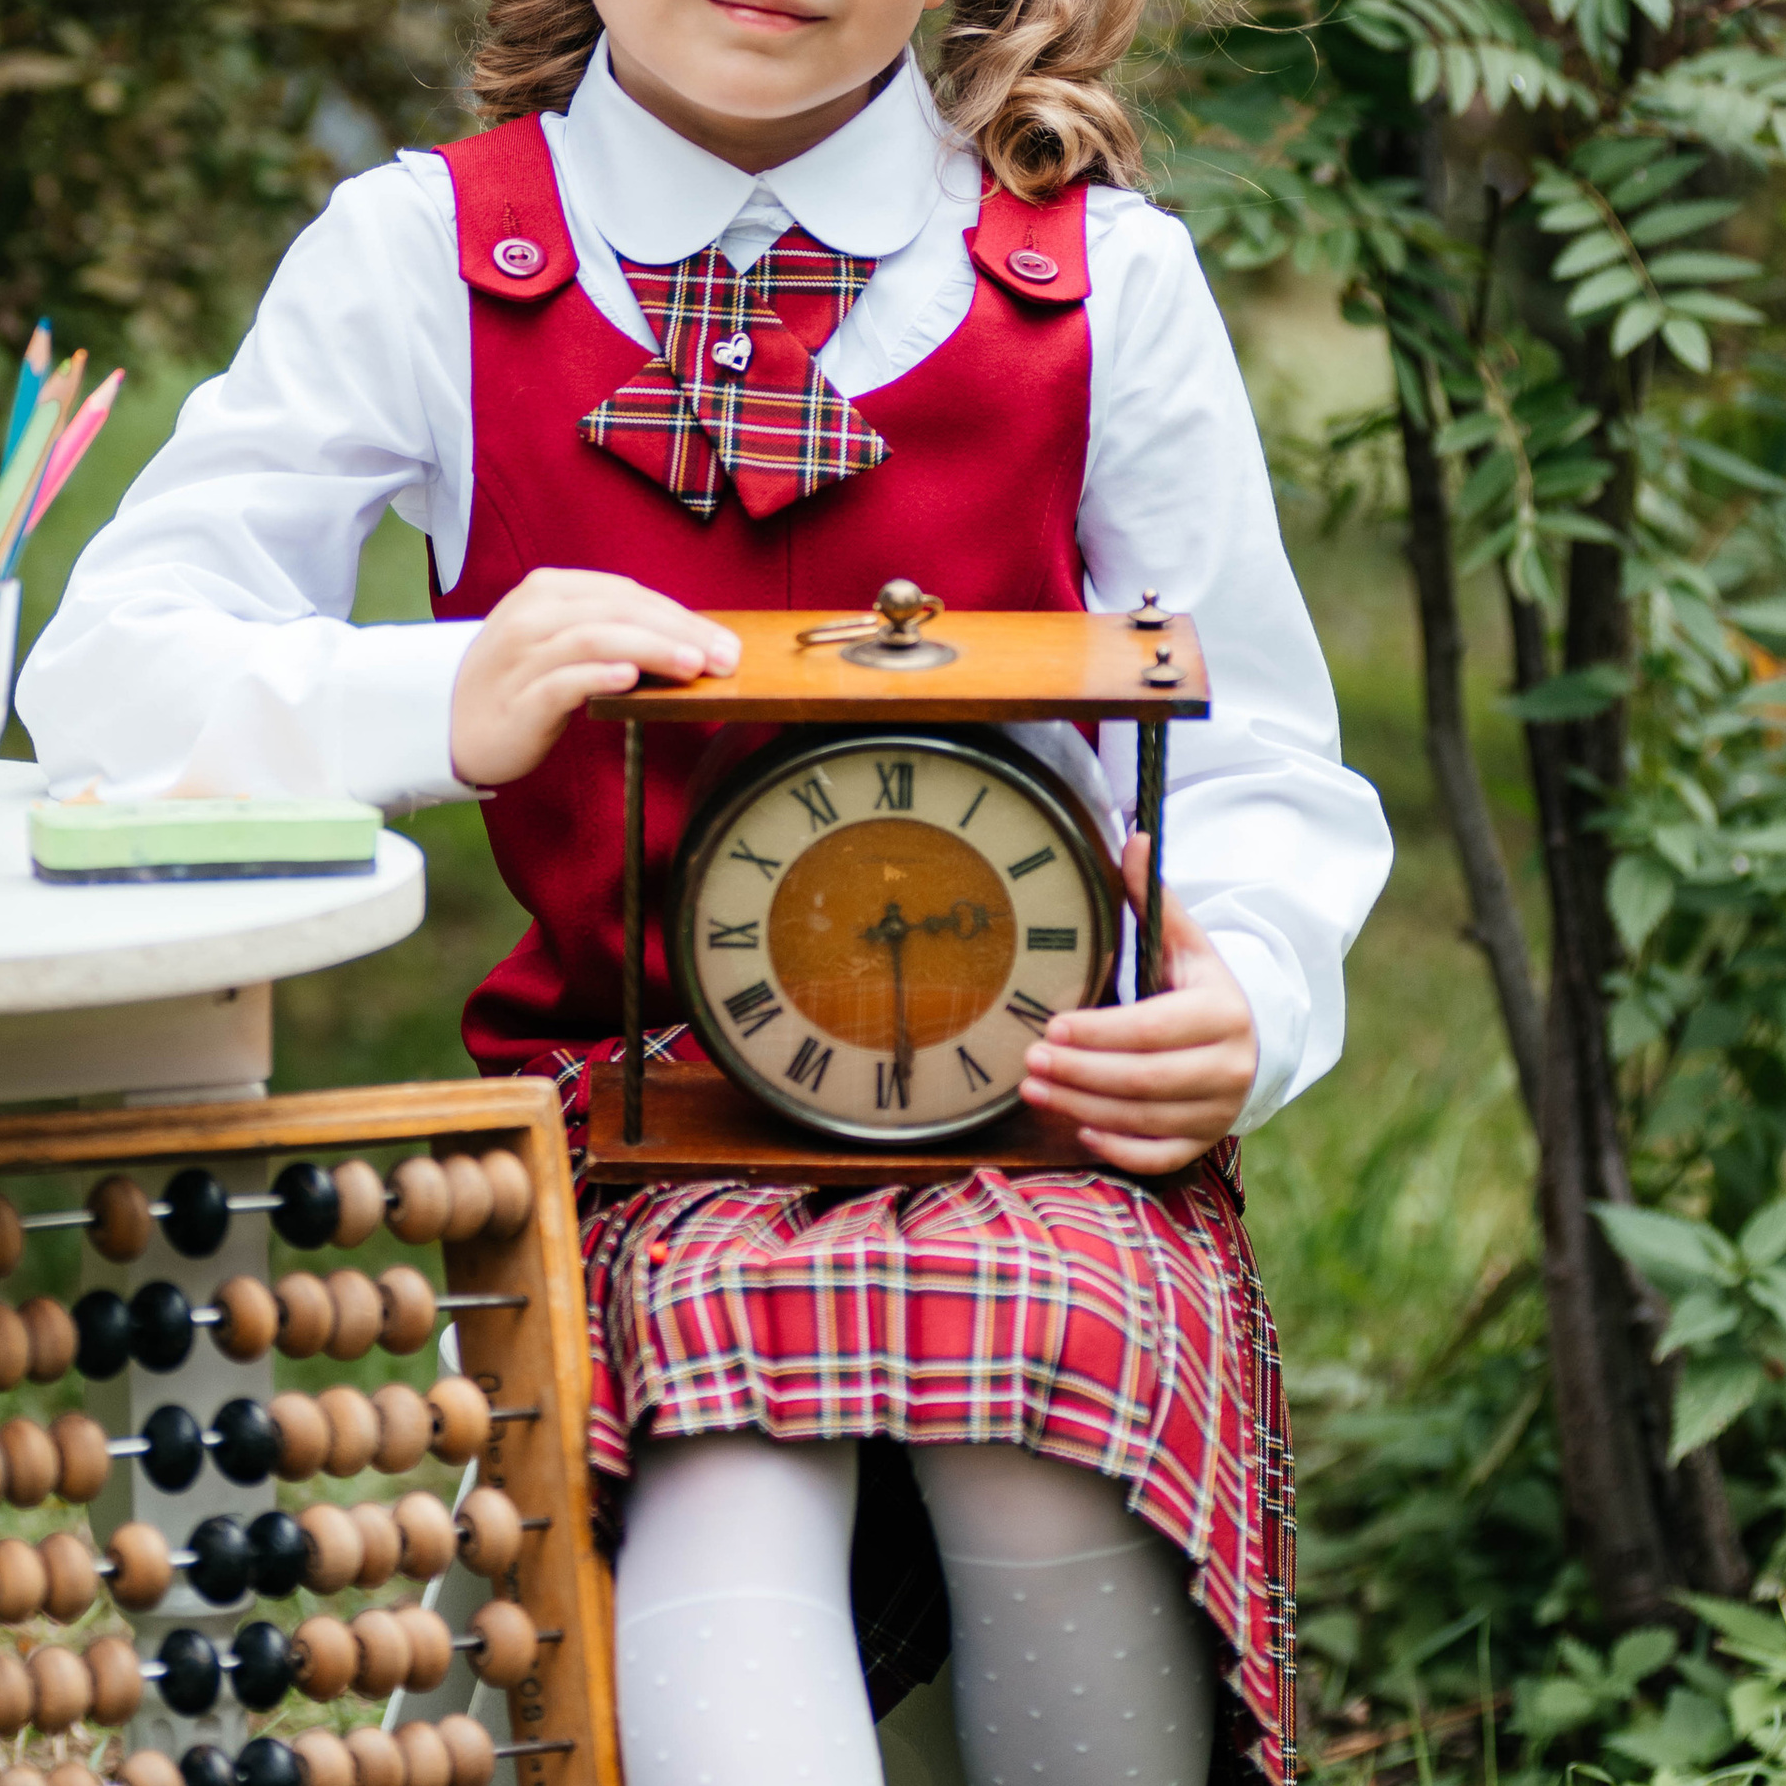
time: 2:29
